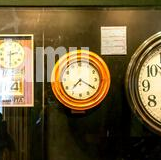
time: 7:20
